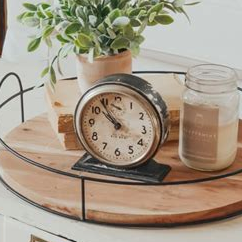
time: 9:53
